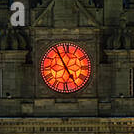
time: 4:55
